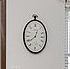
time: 12:38
